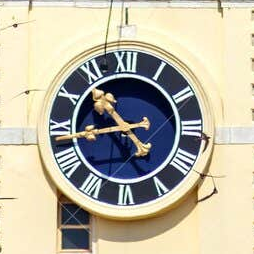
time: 10:43
